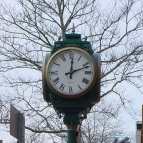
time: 12:11
